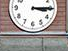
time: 3:14
